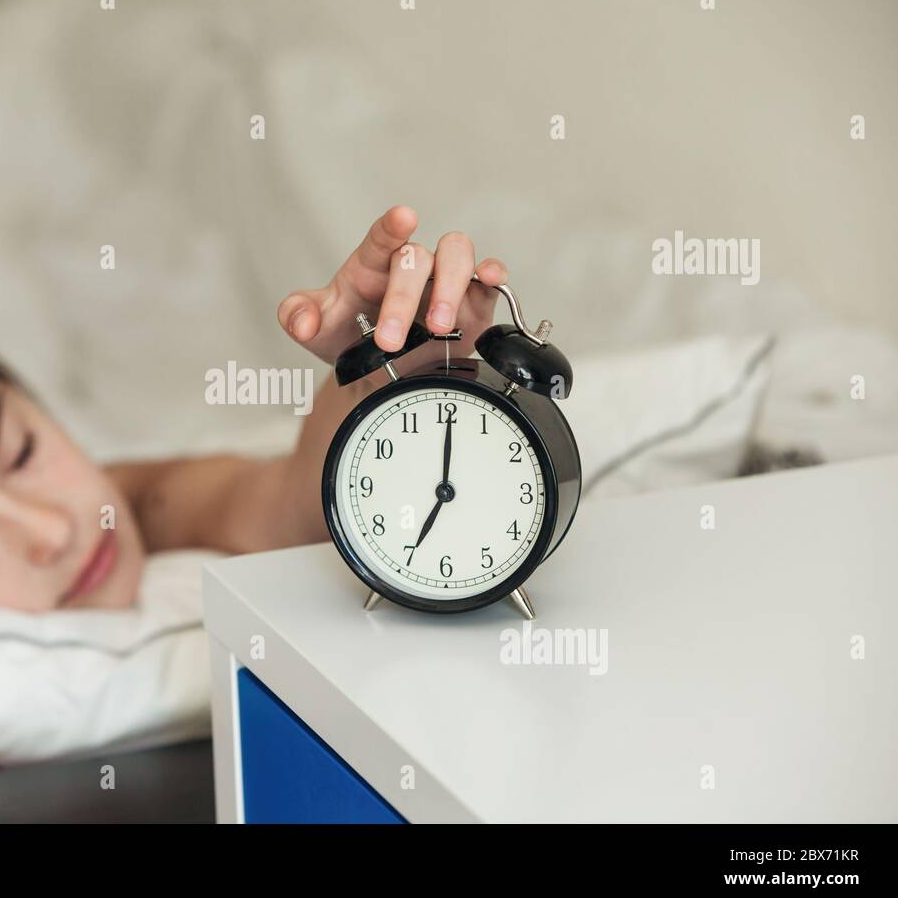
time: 7:00
